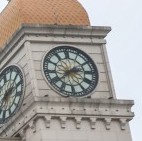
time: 2:38
